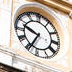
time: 9:34
